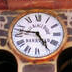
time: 4:46
